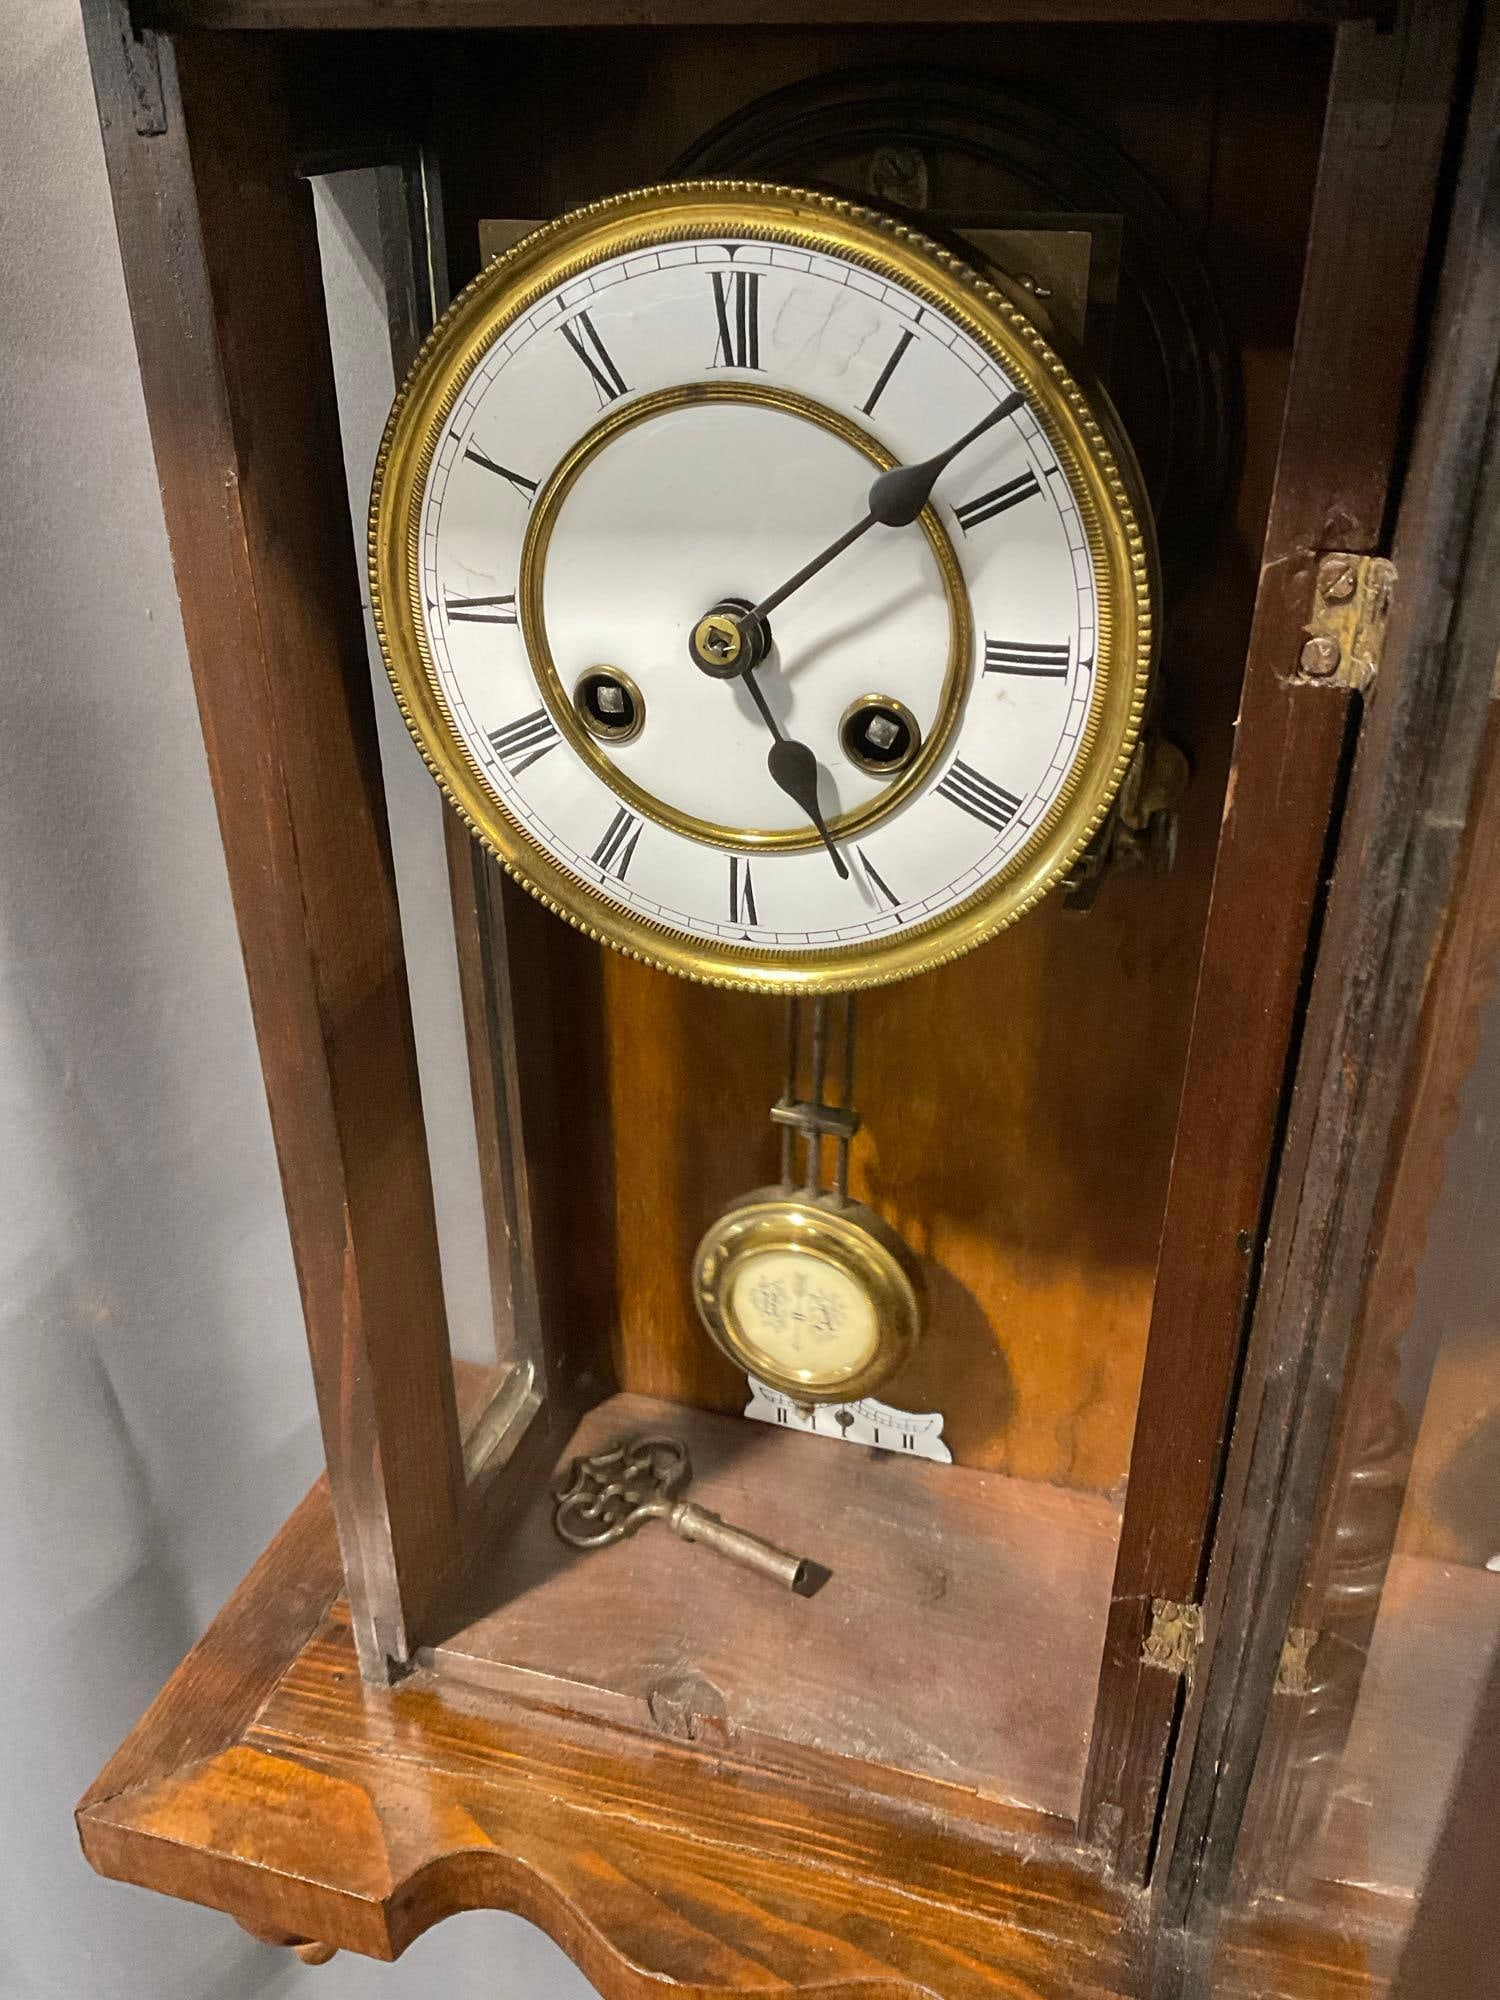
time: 5:08
